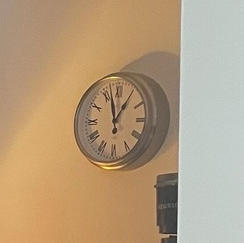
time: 12:57
